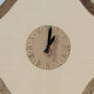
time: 1:01
